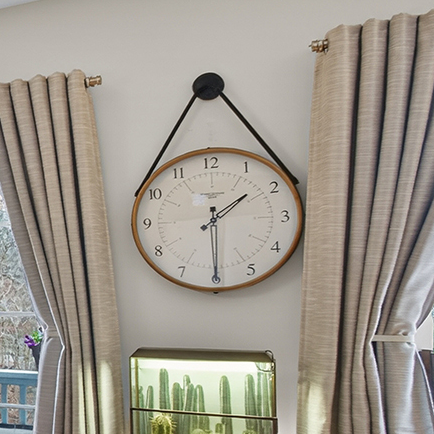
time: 1:29
